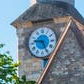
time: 9:25
